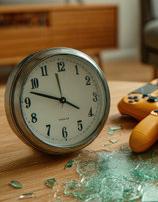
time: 3:47
